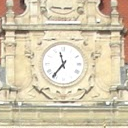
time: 11:36
